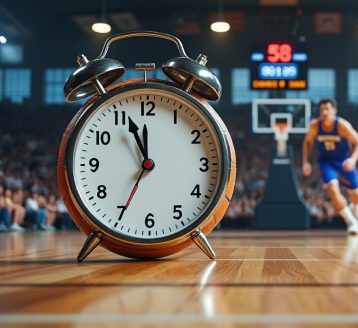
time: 11:56
